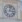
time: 3:02
